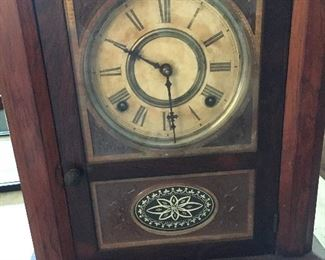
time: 5:49
